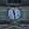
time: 11:28
